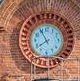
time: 7:55
